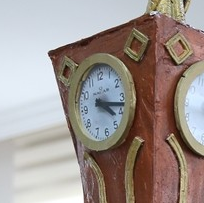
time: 4:17
